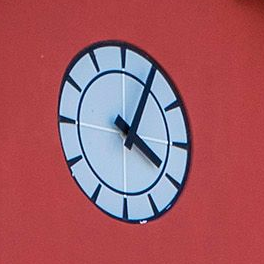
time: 4:04
